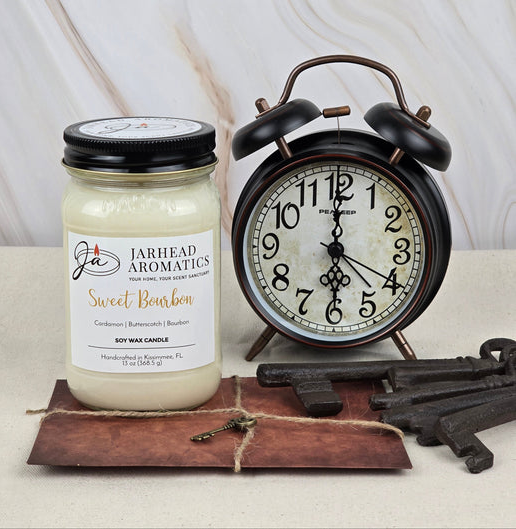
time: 5:59
